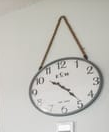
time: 10:23
